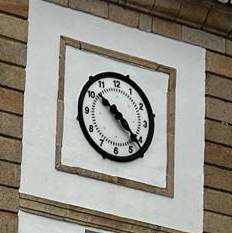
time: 10:21
